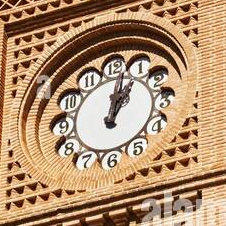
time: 1:02
